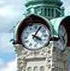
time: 4:04
